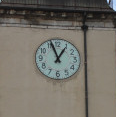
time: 12:56
